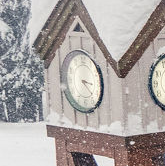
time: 3:22
